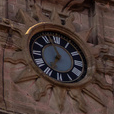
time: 6:56
